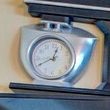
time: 12:40
